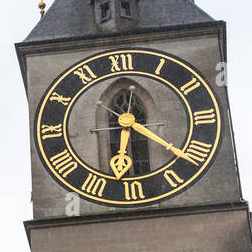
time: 6:21
